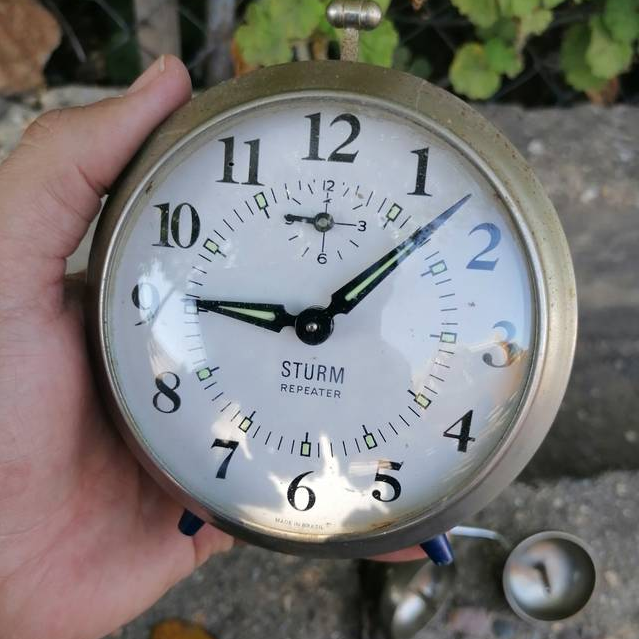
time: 9:07
